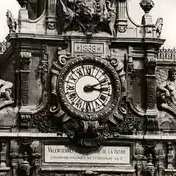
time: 3:10
